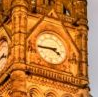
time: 3:44
